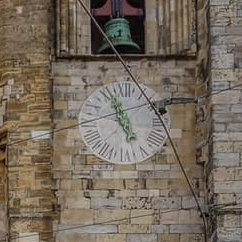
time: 4:57
